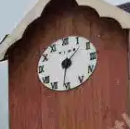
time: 1:31
